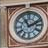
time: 11:11
